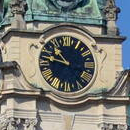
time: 10:47
